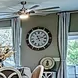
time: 11:11
